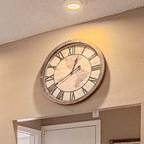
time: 12:40
